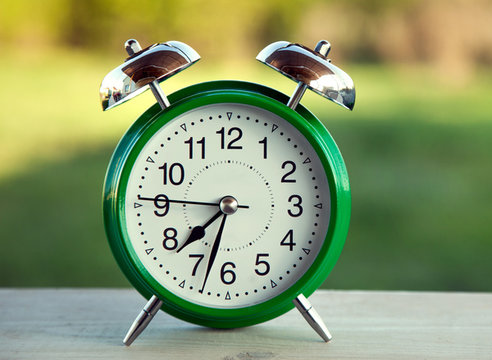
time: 7:32
